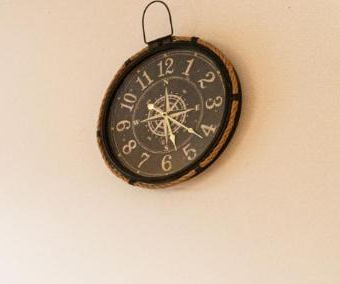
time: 5:21
